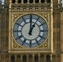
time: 1:00
